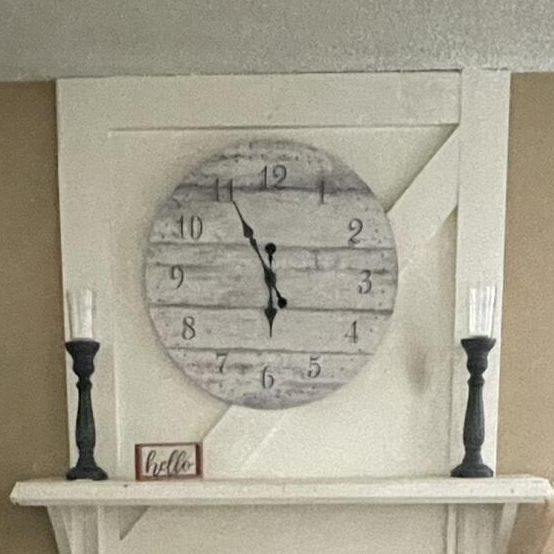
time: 5:55
